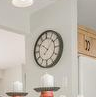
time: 10:07
